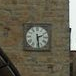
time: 2:28
